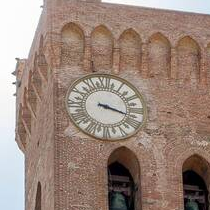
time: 3:17
